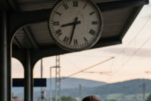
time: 8:32
